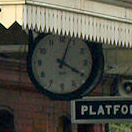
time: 4:03
